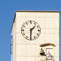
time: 1:30
